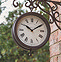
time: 10:09
